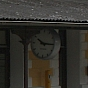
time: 10:15
